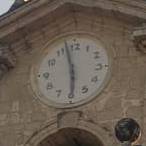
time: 5:57
